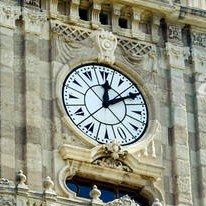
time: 12:10
